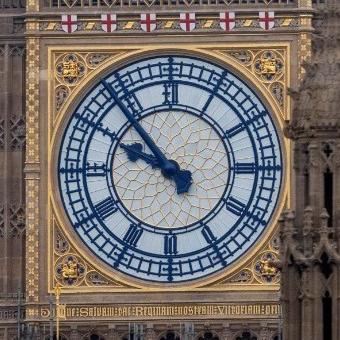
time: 9:53
